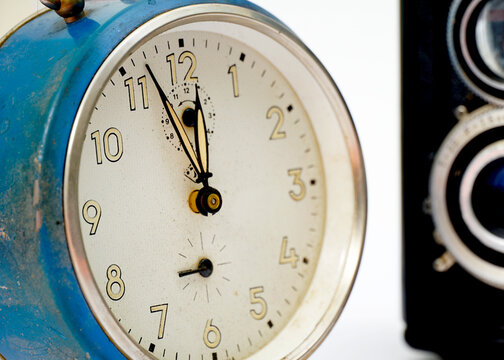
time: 11:56
